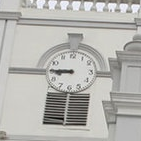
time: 8:45
